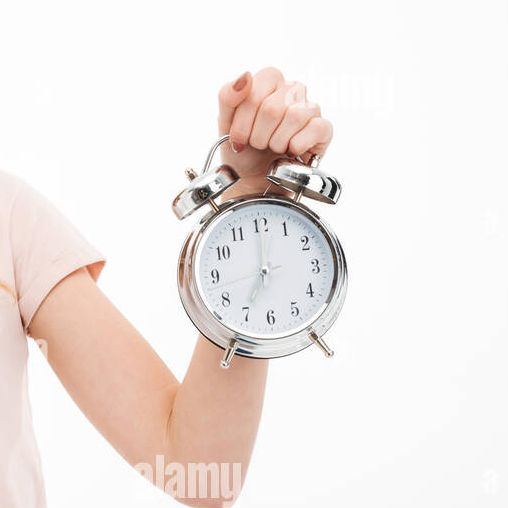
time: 7:00
